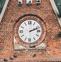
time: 2:11
